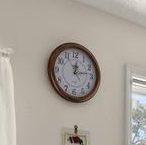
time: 12:13
